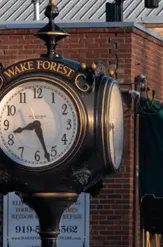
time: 8:27
